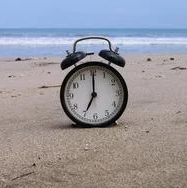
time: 7:00
